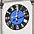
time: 12:12
